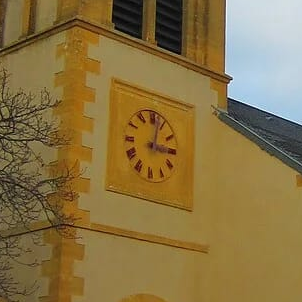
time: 3:02
